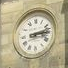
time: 3:12
